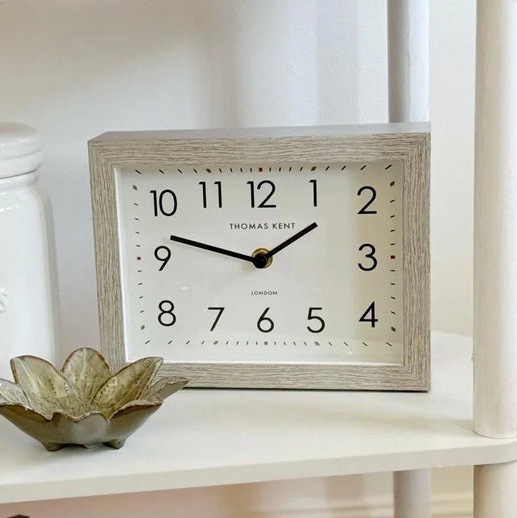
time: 1:47
